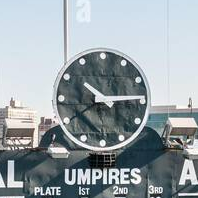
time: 10:14
